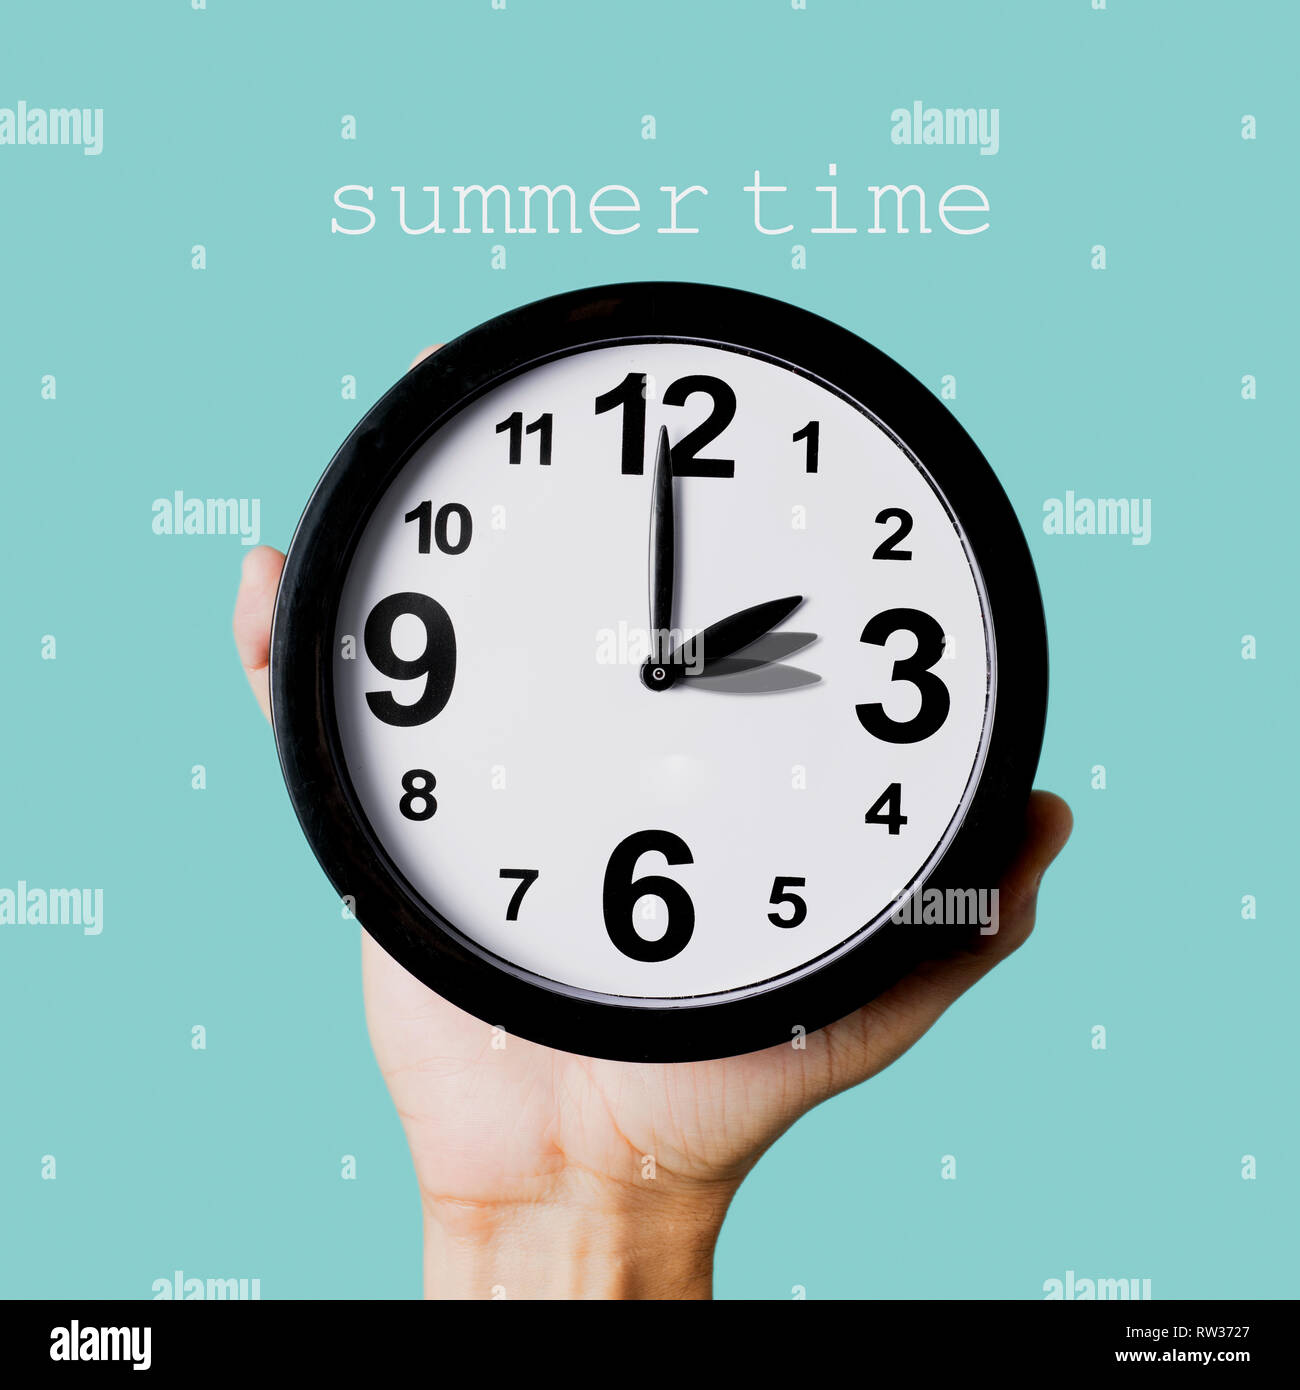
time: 1:59
